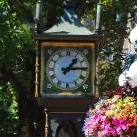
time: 1:14
